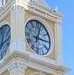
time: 3:02
